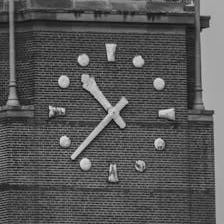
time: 10:37
